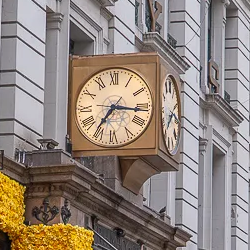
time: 7:16
